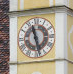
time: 11:28
